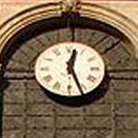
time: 12:26
